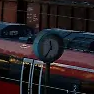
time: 11:35
